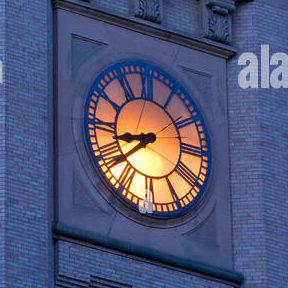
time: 8:38
